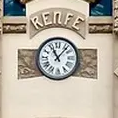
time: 11:07
